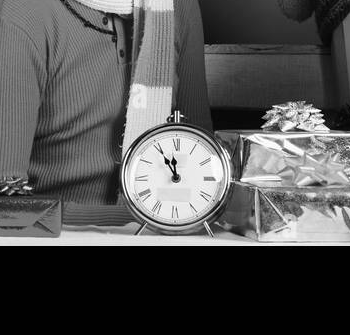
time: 11:55
